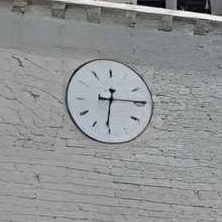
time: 6:14
